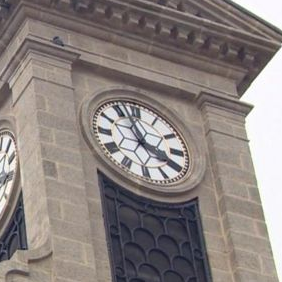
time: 3:56
